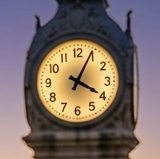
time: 4:04
